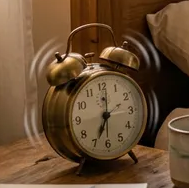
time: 7:01
